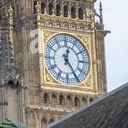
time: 12:24
